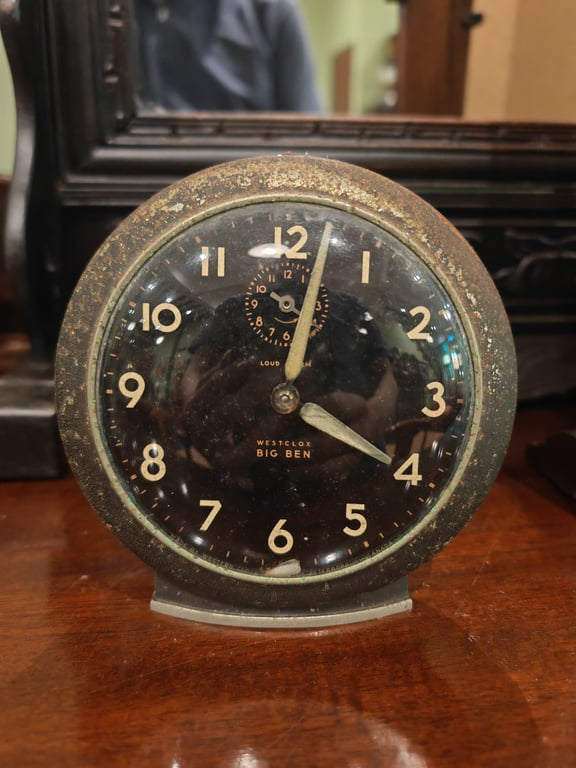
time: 4:02
